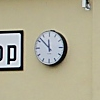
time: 11:52
